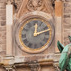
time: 12:12
